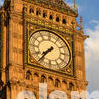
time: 7:36
